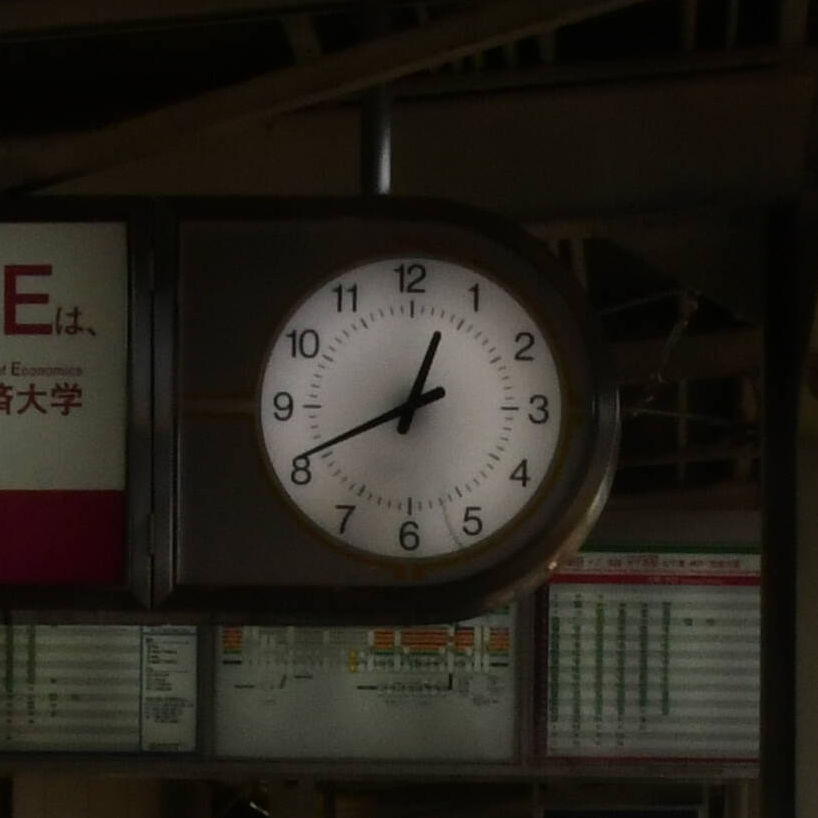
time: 12:40
